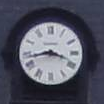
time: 3:43
